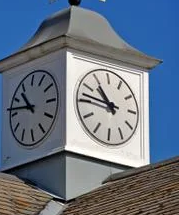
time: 10:46
